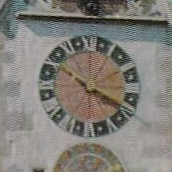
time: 10:18
